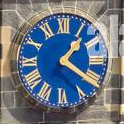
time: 1:20
